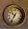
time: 10:34
